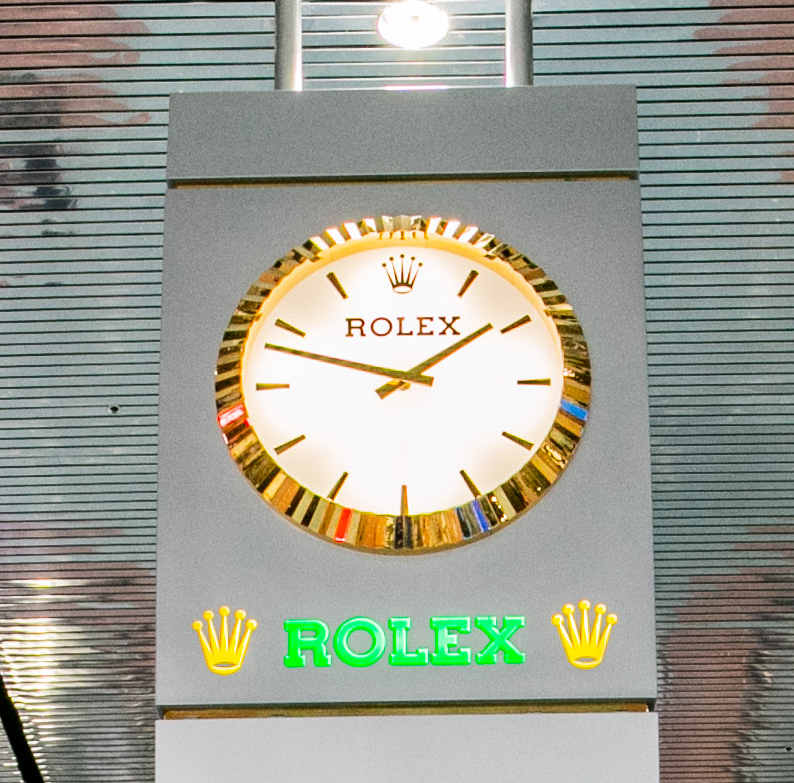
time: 1:47
